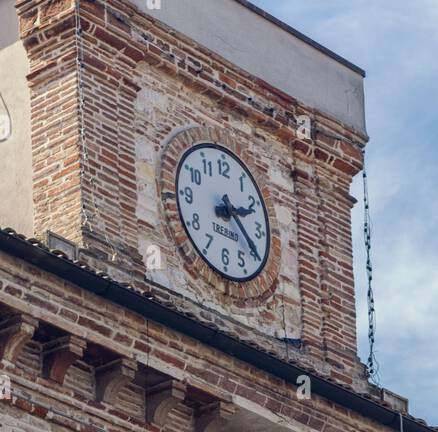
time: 2:20
